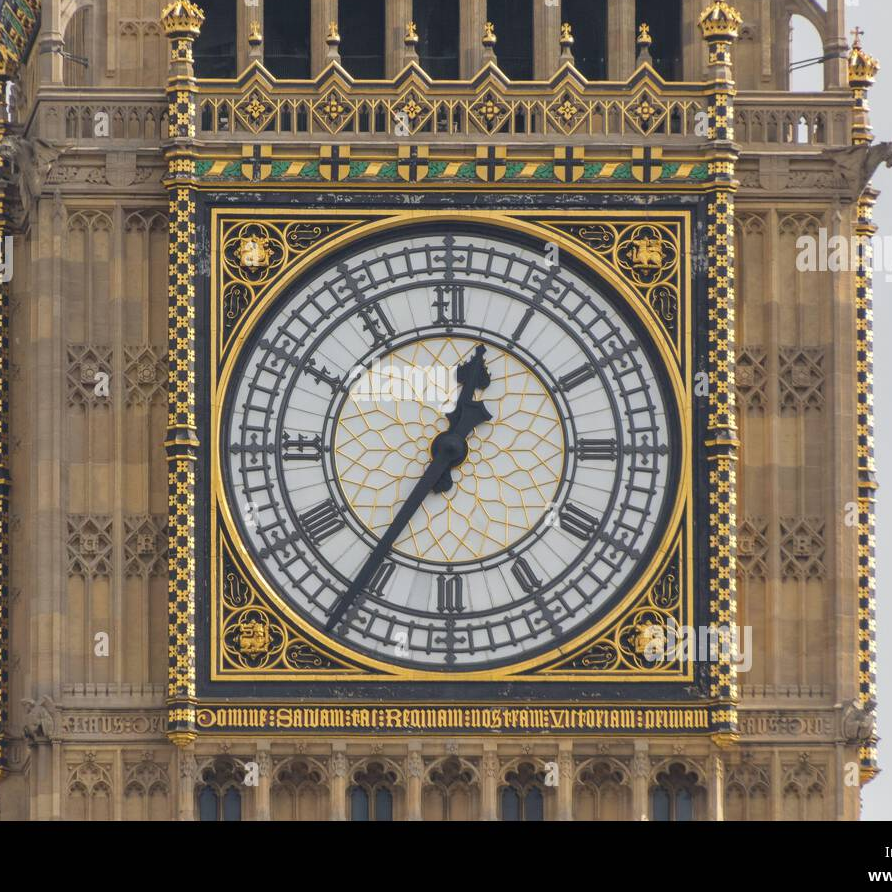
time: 12:35
